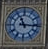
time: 11:15
